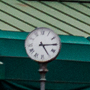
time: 5:14
